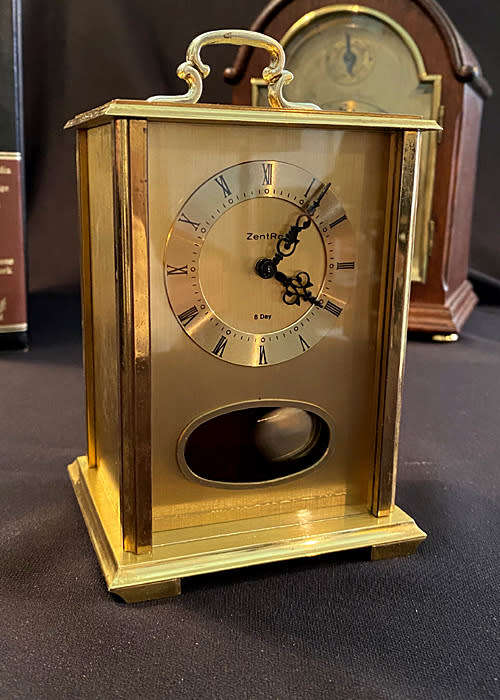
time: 1:18
